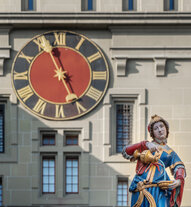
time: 4:57
